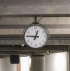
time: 12:46
